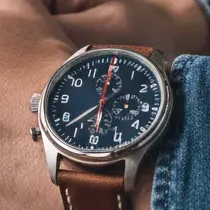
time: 5:59
